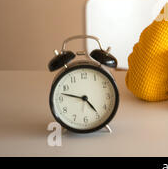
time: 4:47
